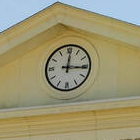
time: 12:15
